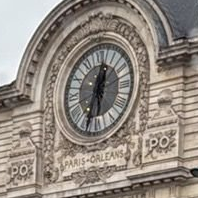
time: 12:32
